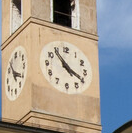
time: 3:53
